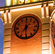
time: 7:30
